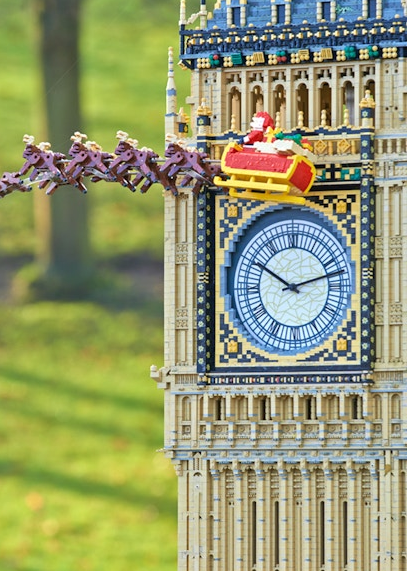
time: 10:12
